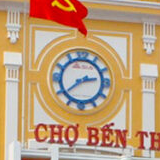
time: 2:38
